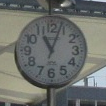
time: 11:03
